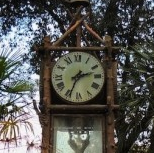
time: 2:34
